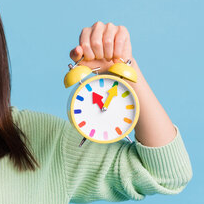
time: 11:05
